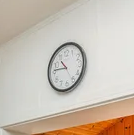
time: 10:46
